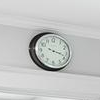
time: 3:18
